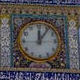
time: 12:06
